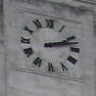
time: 2:12
